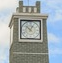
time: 12:52
